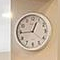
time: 12:44
